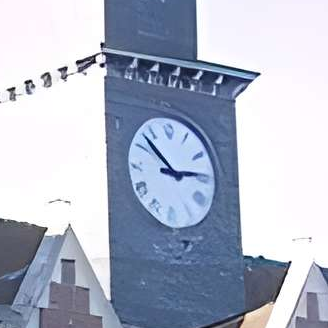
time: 2:52
